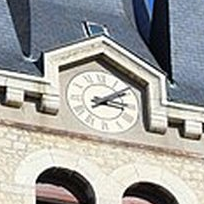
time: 3:09
